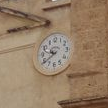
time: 9:39
